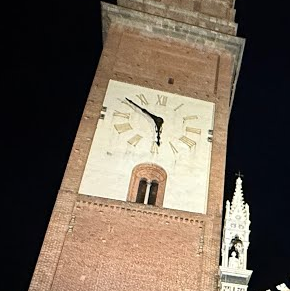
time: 5:49
